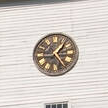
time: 1:24
